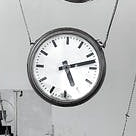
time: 5:12
